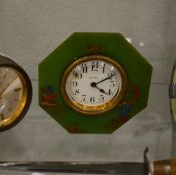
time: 4:10
